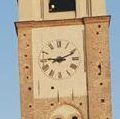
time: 9:11
